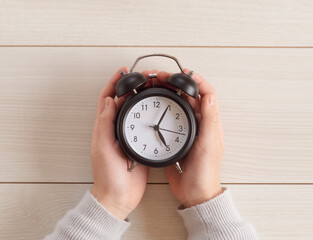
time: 5:04
